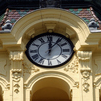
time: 12:06
